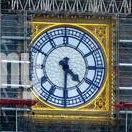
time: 4:30
